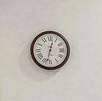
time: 12:32
